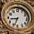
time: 8:33
